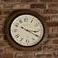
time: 3:20
